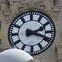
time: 2:18
